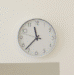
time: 11:36
